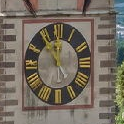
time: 11:55
